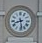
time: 8:28
